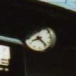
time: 8:23
